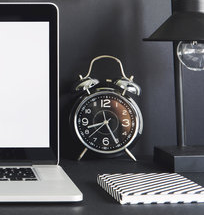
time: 8:25
